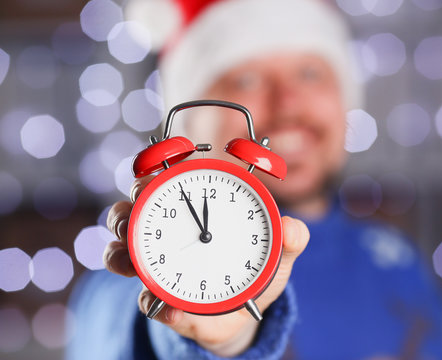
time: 11:54
